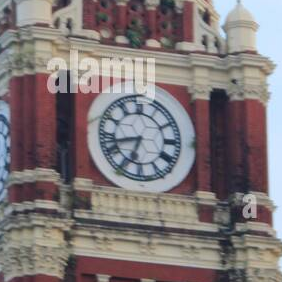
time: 6:42
